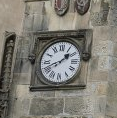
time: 1:41
